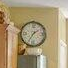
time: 1:34
